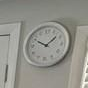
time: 1:49
